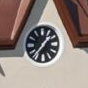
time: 1:36
